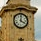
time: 4:01
